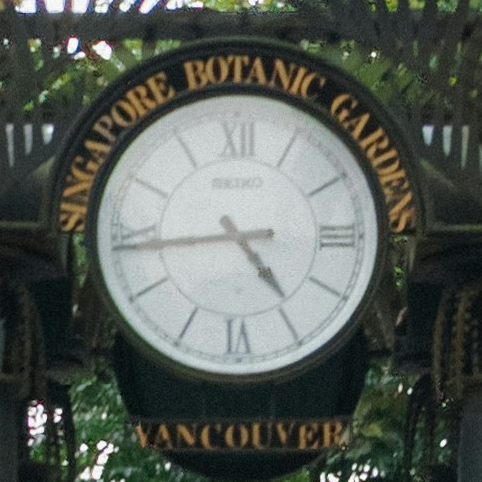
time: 4:43
